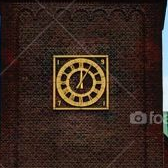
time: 12:05
